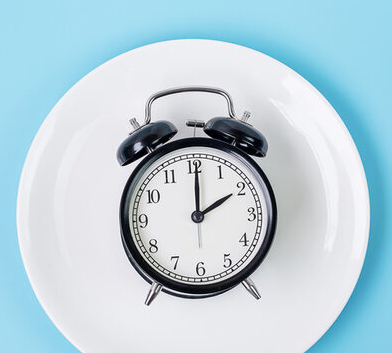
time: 2:00
